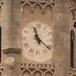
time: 11:21
